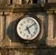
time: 5:08
